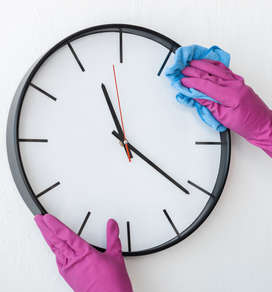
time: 11:21
